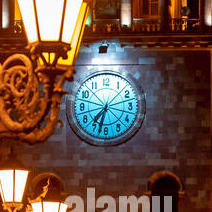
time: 7:32
